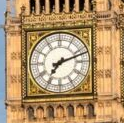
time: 7:11
